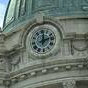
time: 12:12
